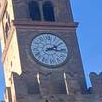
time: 2:16
